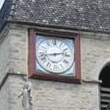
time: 2:42
